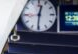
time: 12:30
